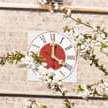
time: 4:01
